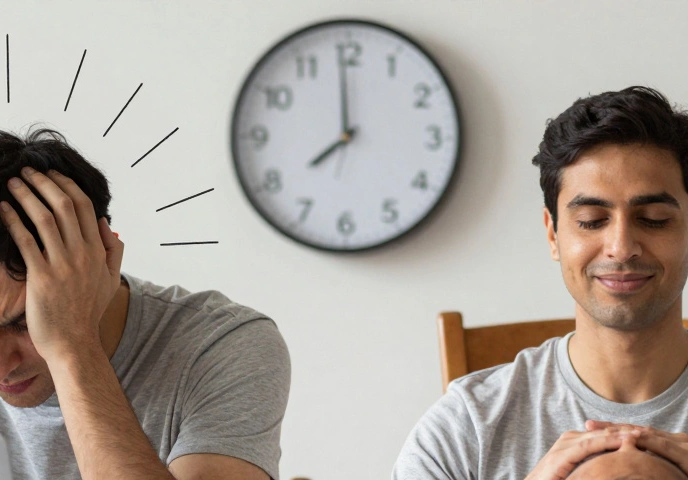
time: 7:59
